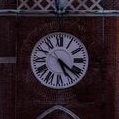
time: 5:21
